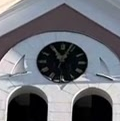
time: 11:03
